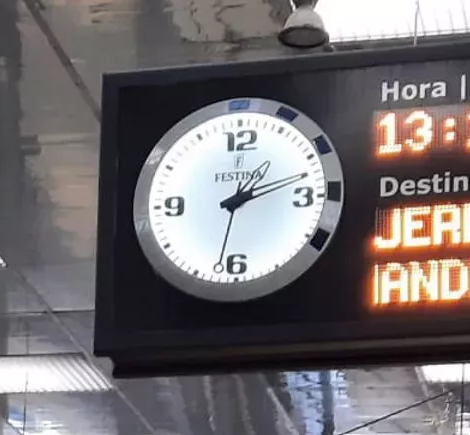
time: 1:11
